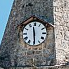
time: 11:29
